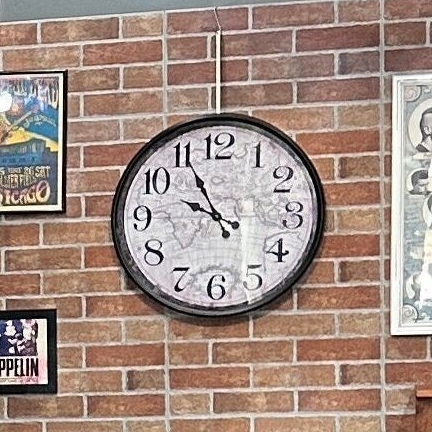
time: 9:55
